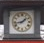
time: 1:42
